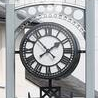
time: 1:52
